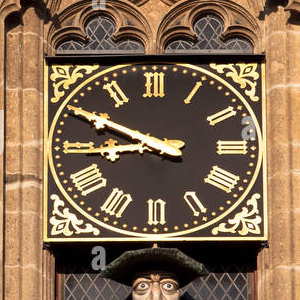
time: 8:49
